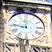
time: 11:46
